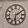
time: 6:10
